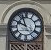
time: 9:56
